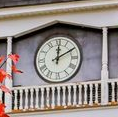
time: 12:10
